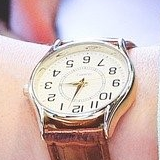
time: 9:33
